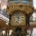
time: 11:32
